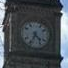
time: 4:34
